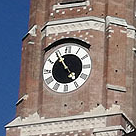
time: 4:54
